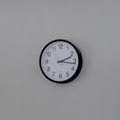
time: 2:16
